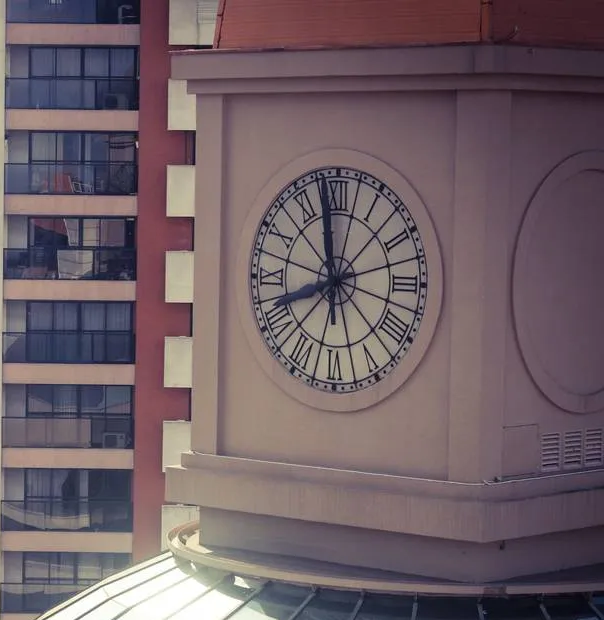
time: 11:41
